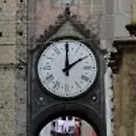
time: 2:00
